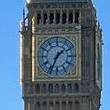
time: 1:34
